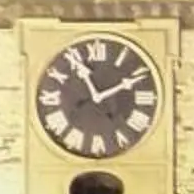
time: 11:10
